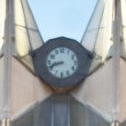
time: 8:41
